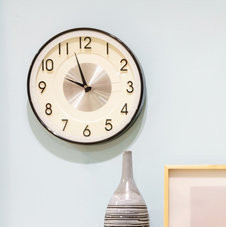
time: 9:57
